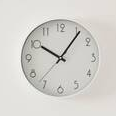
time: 10:06
